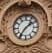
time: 1:36
